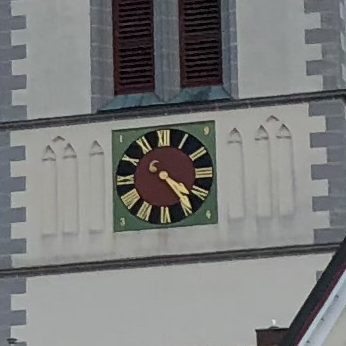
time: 4:23
